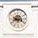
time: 8:17
